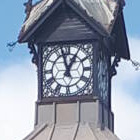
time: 12:57
